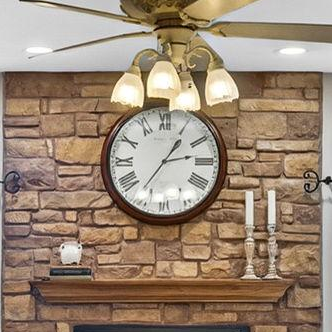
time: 1:13
